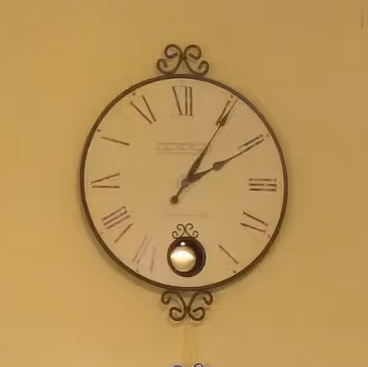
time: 2:05
